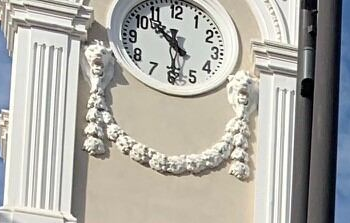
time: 10:29
